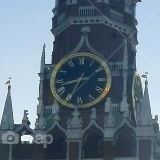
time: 8:34
